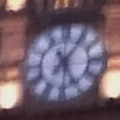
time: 5:06
